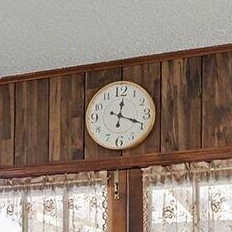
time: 12:18
